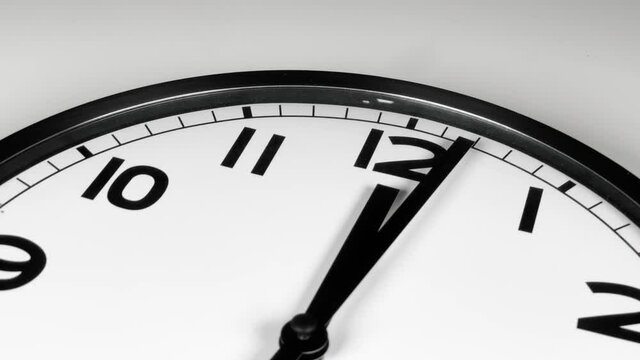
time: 12:01
